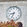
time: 8:33
